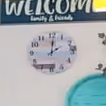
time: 2:01
